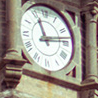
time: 11:13
